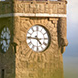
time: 4:45
